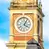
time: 4:04
